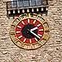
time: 2:21
